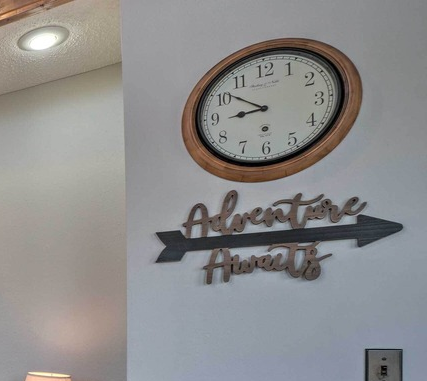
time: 8:51
